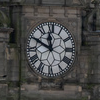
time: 11:49
